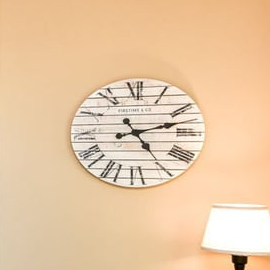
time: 2:24
